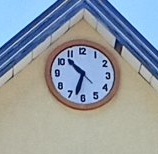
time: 10:32
